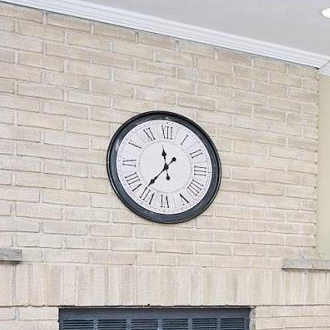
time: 11:36
